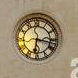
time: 6:17
